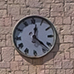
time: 12:22
